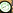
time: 8:09
